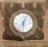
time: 6:03
